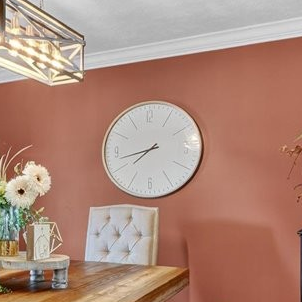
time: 7:42
